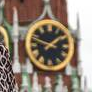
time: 1:47
